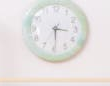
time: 3:29
